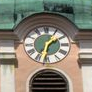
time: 1:32
